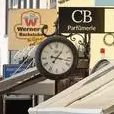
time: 1:16
